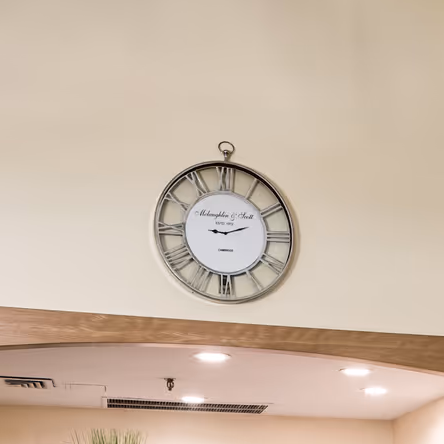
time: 9:11
